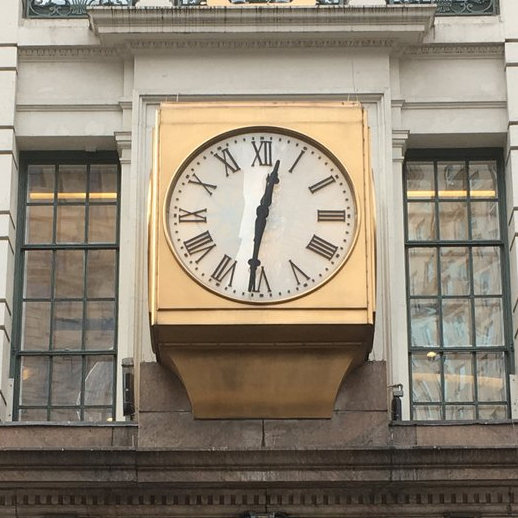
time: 12:31
